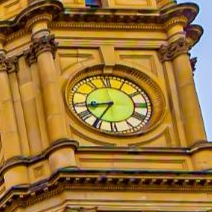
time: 8:35
